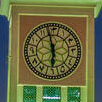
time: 5:57
